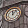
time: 12:07
